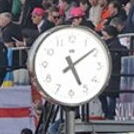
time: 5:08
